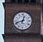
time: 12:41
